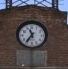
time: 11:36
